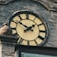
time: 1:50
